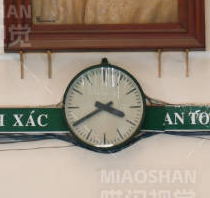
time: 3:40
